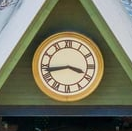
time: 3:42
